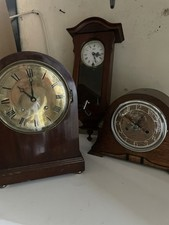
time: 10:00
